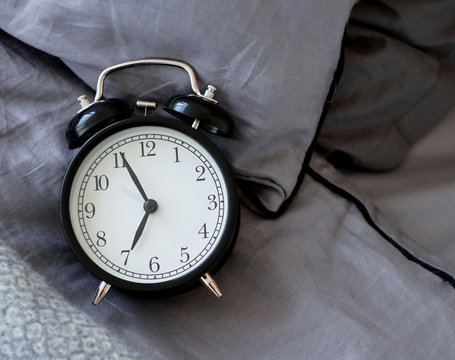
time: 6:55
